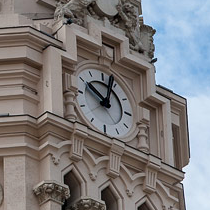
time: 10:02
